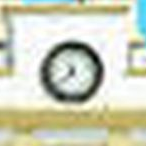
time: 11:37
